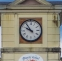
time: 9:53
